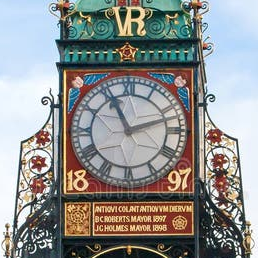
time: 11:12
